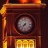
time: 7:36
